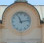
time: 11:13
